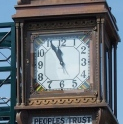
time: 11:55
